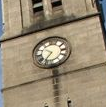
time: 10:36
